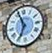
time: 6:56
